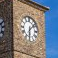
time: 6:08
